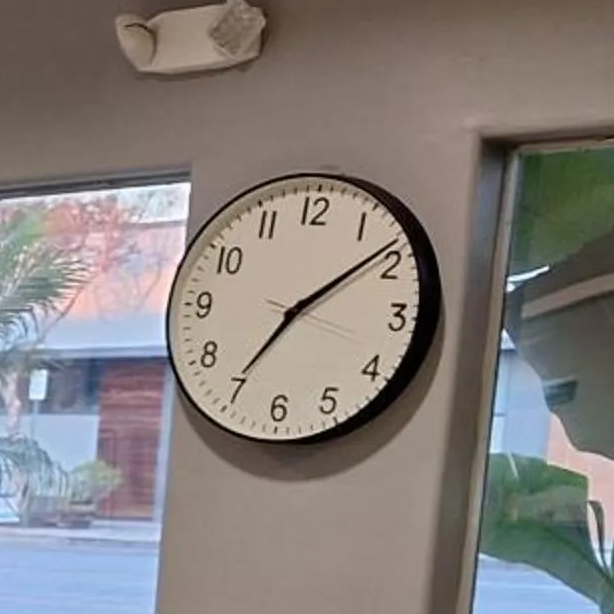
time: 7:08
